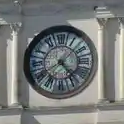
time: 4:40
